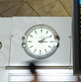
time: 3:09
